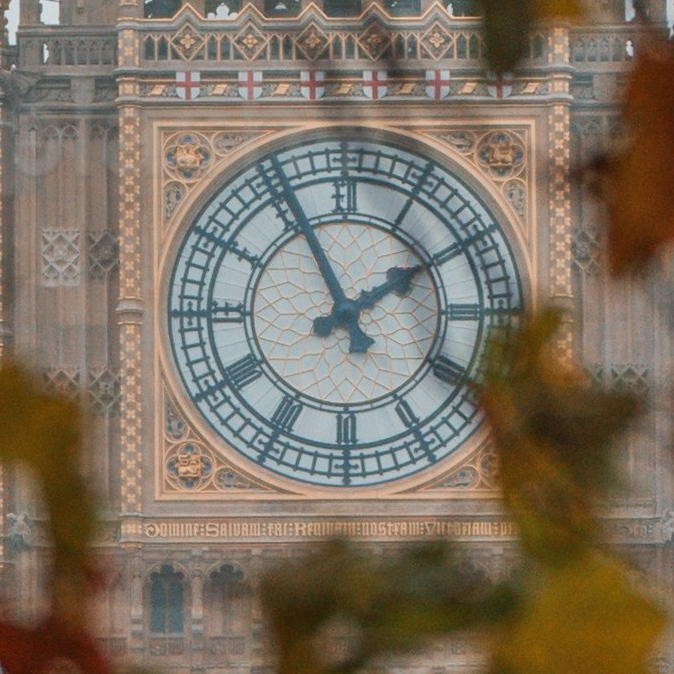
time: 1:55
